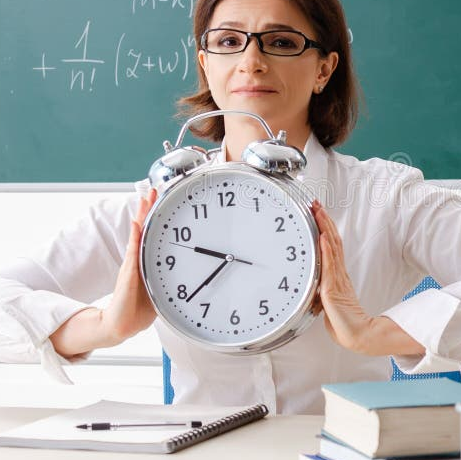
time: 9:38
